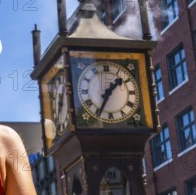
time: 1:34
